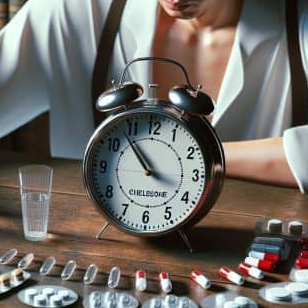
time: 3:53
